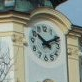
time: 10:10
